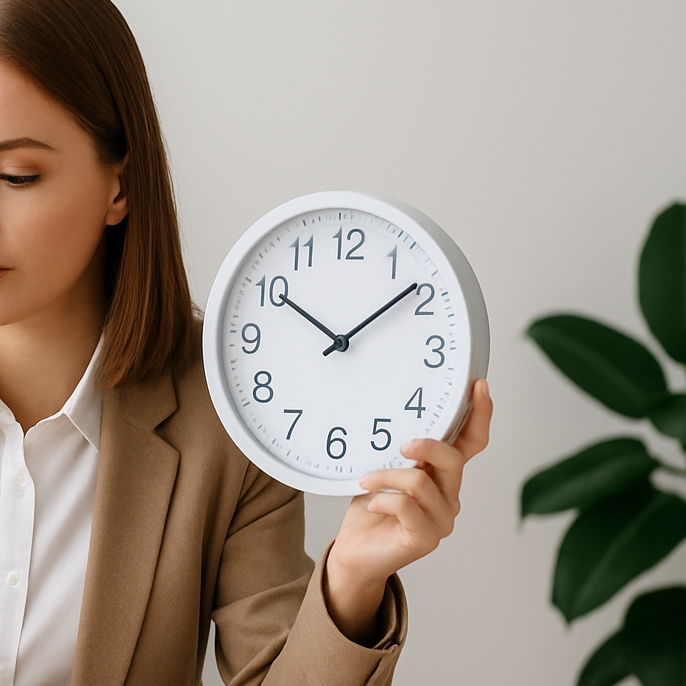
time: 10:08
